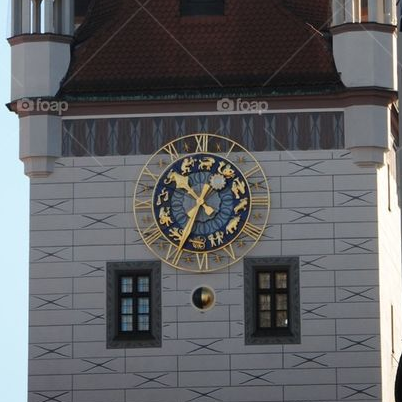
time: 10:34
